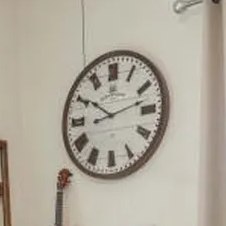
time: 10:12
